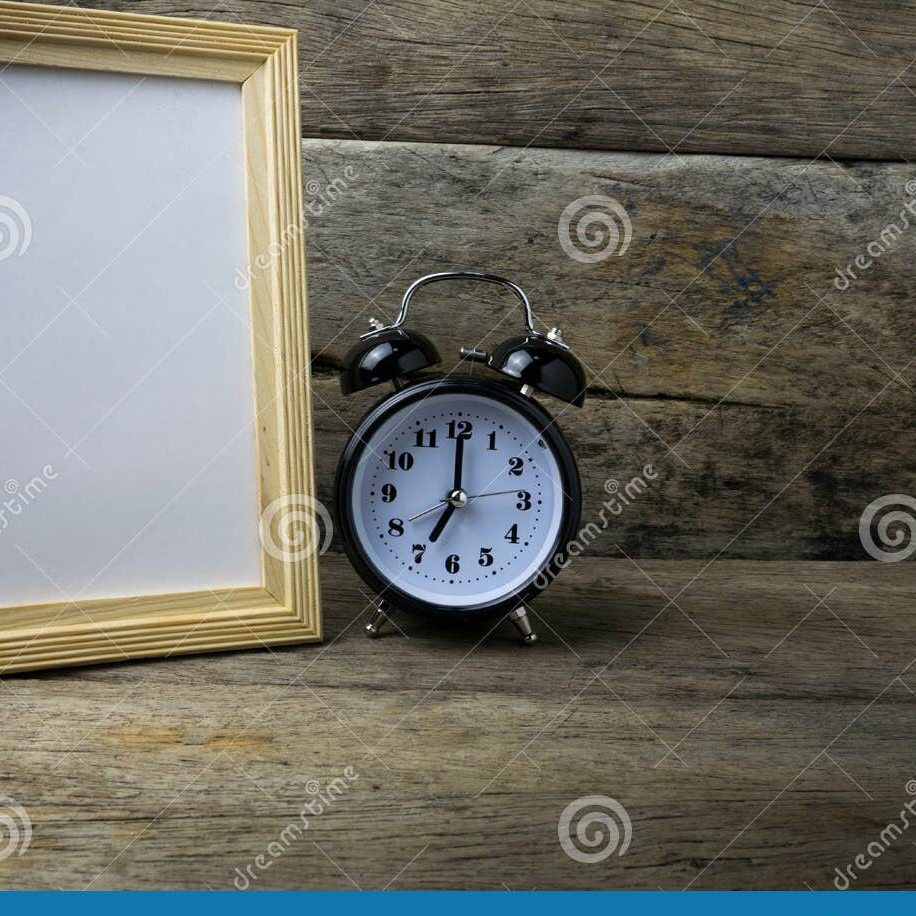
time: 7:00
